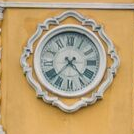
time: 4:37
